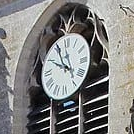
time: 9:55
